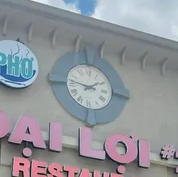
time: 1:46
